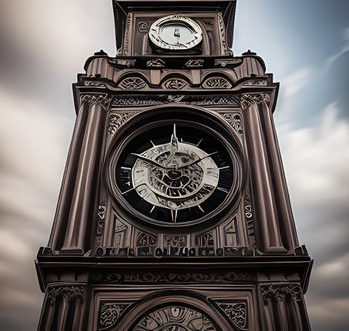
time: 1:49
